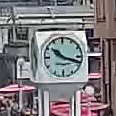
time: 10:18
